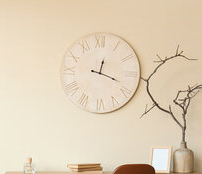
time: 12:18
